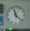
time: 11:21
